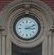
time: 3:11
